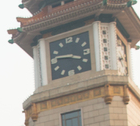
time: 3:46
